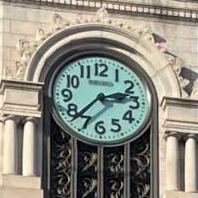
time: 2:37
